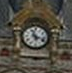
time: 11:18
